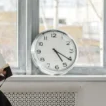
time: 5:20
